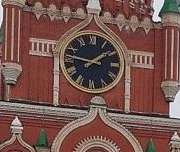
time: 1:46
